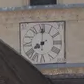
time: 8:00
